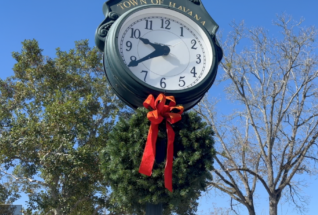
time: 9:39
